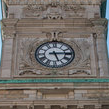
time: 5:14
